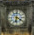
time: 6:20
